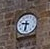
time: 9:32
